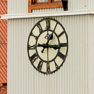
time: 1:16
